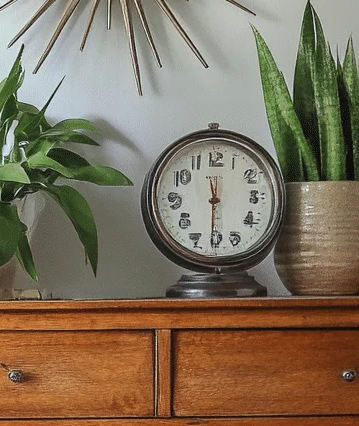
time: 11:30
